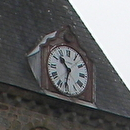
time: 10:32
